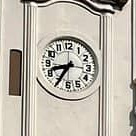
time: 8:35
